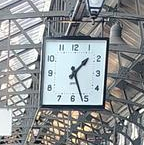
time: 1:26
